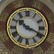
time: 10:19
